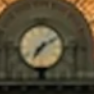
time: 7:09
